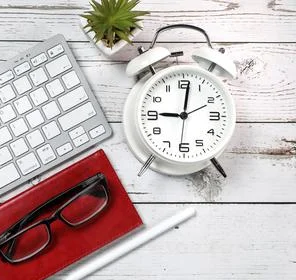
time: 9:01
